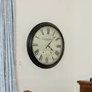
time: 4:07
